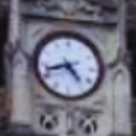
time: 4:42
